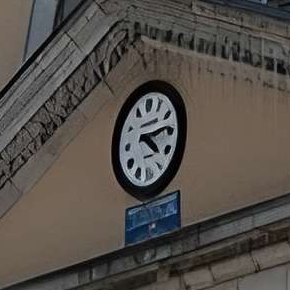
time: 4:13
